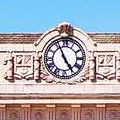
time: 4:55
